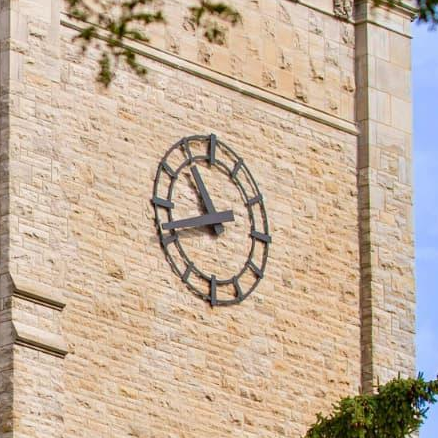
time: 10:41
